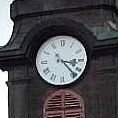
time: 3:23
